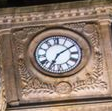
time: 7:10
